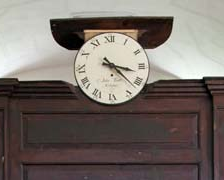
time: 3:22
